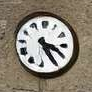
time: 3:24
